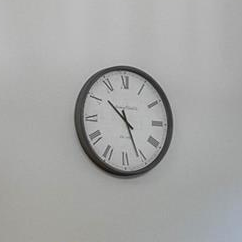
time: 10:26
